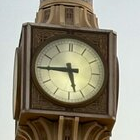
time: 5:45
